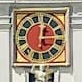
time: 12:13
